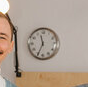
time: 11:34
